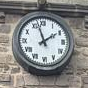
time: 1:57
